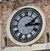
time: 2:15
